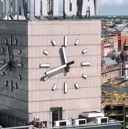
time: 11:41
